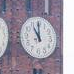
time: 10:59
